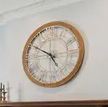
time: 4:50
